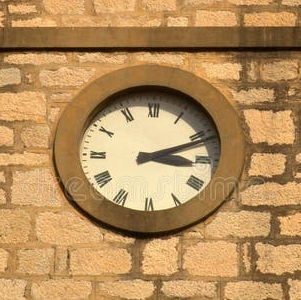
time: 3:11
